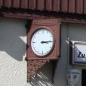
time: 3:14
